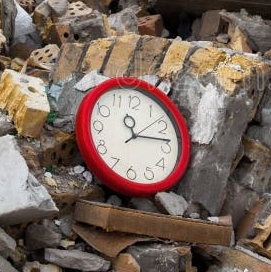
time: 11:13
